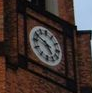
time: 4:49
